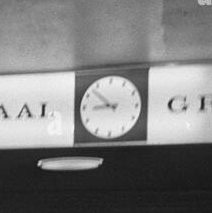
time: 8:52
